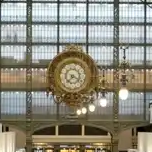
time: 7:20
